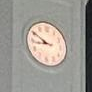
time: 8:50
